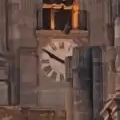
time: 9:50
